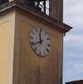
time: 11:39
